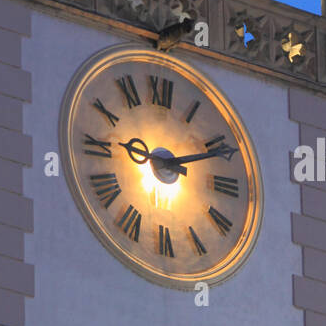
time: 9:11
